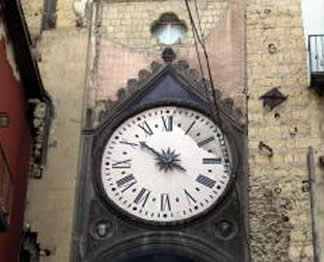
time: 3:51
